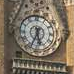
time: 5:34
